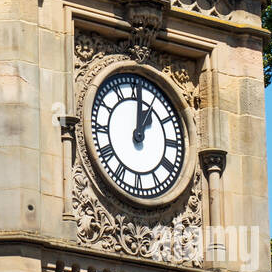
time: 1:01
